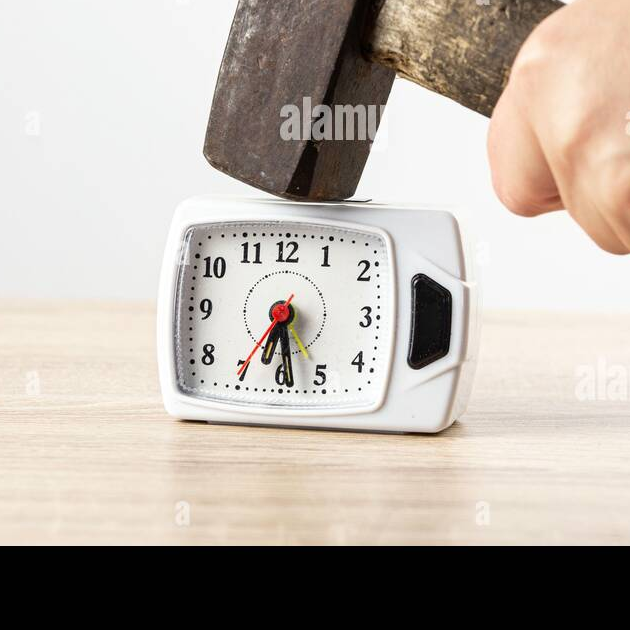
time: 6:28
